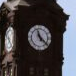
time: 11:21
